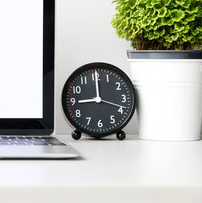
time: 9:00
